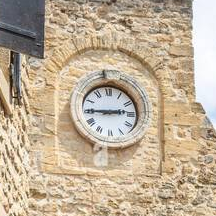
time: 2:45
